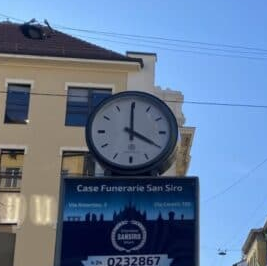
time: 4:00
